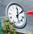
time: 12:07
